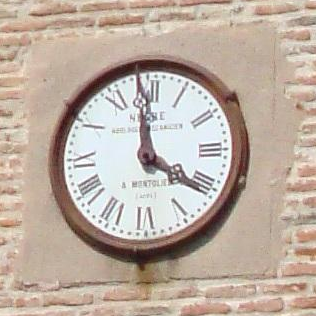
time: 3:59
